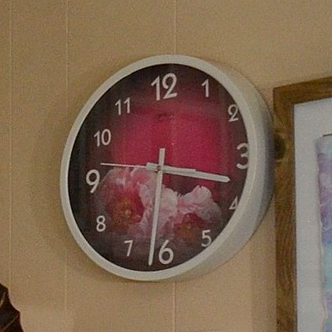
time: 3:31
